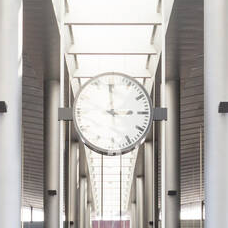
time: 2:59
